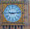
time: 9:13
